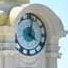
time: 4:02
